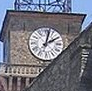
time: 2:02
